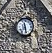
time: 11:28
